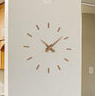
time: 4:08
